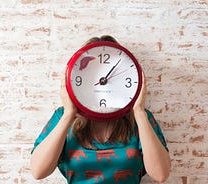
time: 1:06
